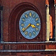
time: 3:39
